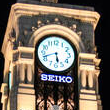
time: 5:41
